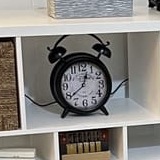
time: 12:38
